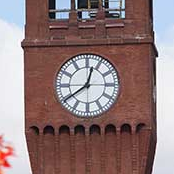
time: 12:39
